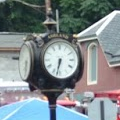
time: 6:32
